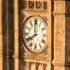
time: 7:59
